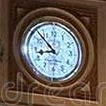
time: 8:52
